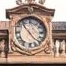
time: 4:53
